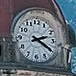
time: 2:19
